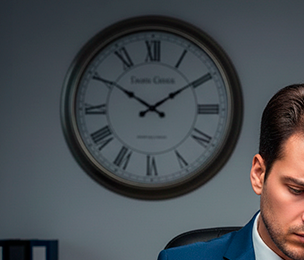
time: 1:50
